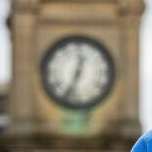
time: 12:33
